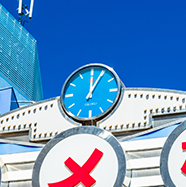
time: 12:04
